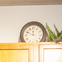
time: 11:48
